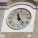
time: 11:23
